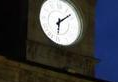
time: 6:08
